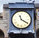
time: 11:20
